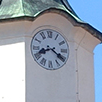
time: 8:20
